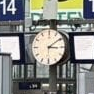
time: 3:09
